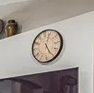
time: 5:03
